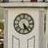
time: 5:23
